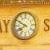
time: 7:49
